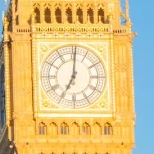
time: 7:00
